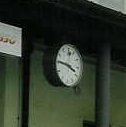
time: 3:45
